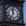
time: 11:35
